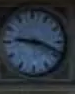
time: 9:18
